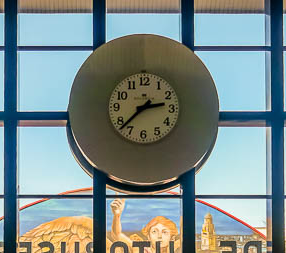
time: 2:37
